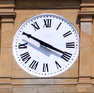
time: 3:49
